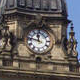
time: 11:46
